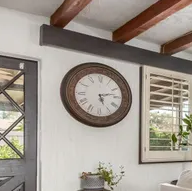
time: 5:12
